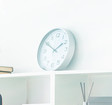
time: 1:50
